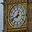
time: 12:41
